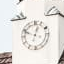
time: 12:49
